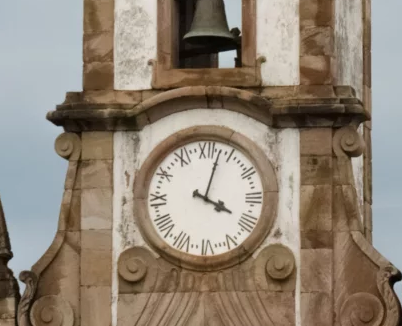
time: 4:02
